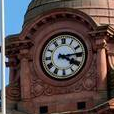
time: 4:13
